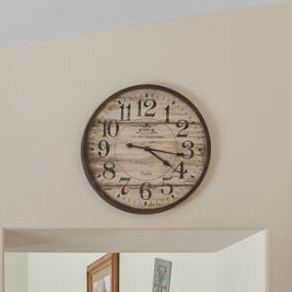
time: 4:16
